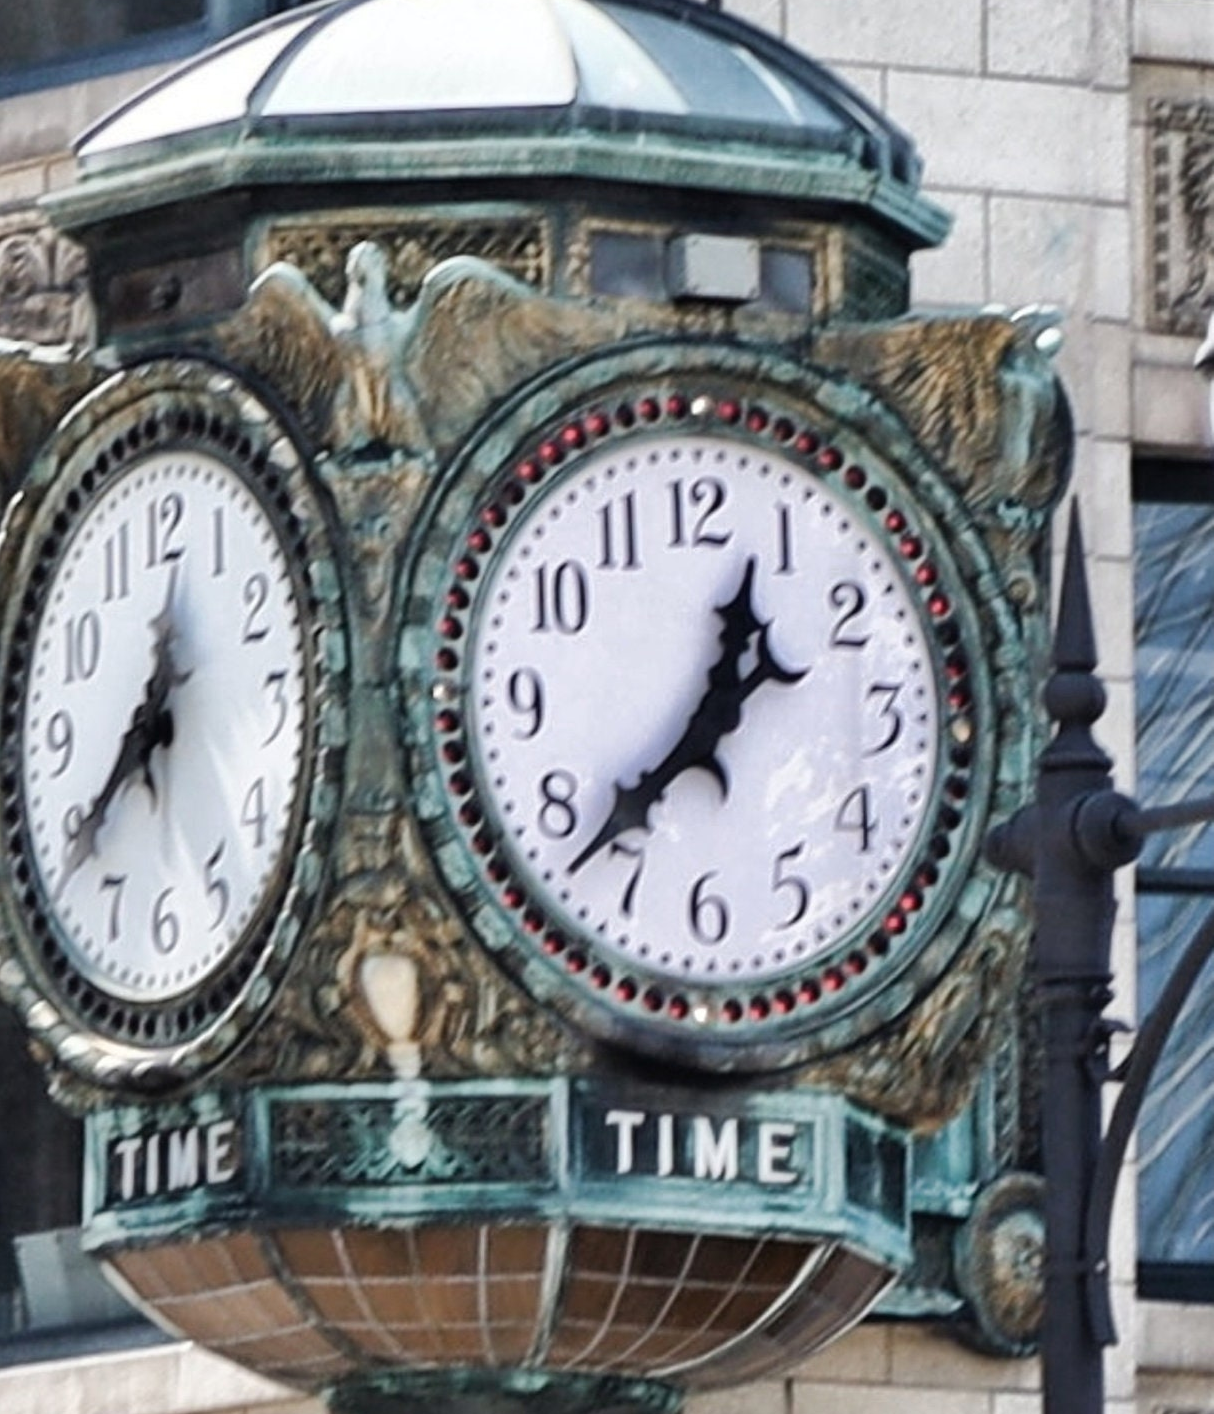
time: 12:37
